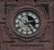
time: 2:24
